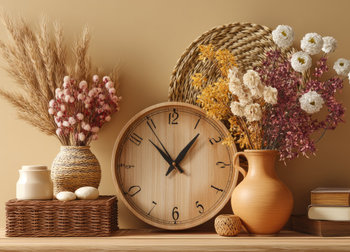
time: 12:52
